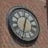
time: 12:32
